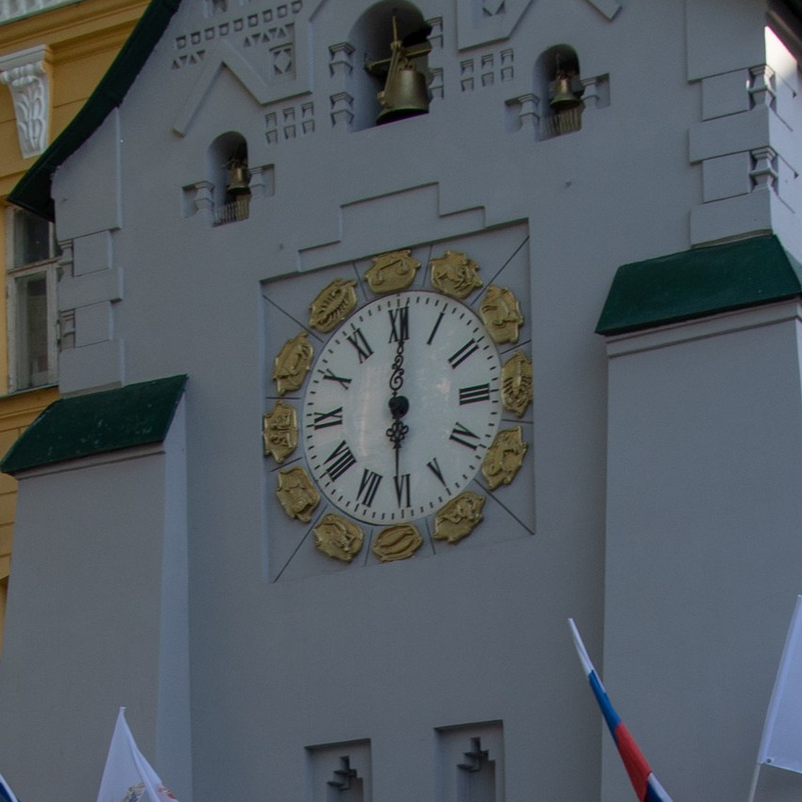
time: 6:00
